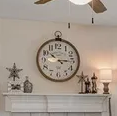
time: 4:15
